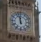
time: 11:57
